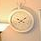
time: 4:09
